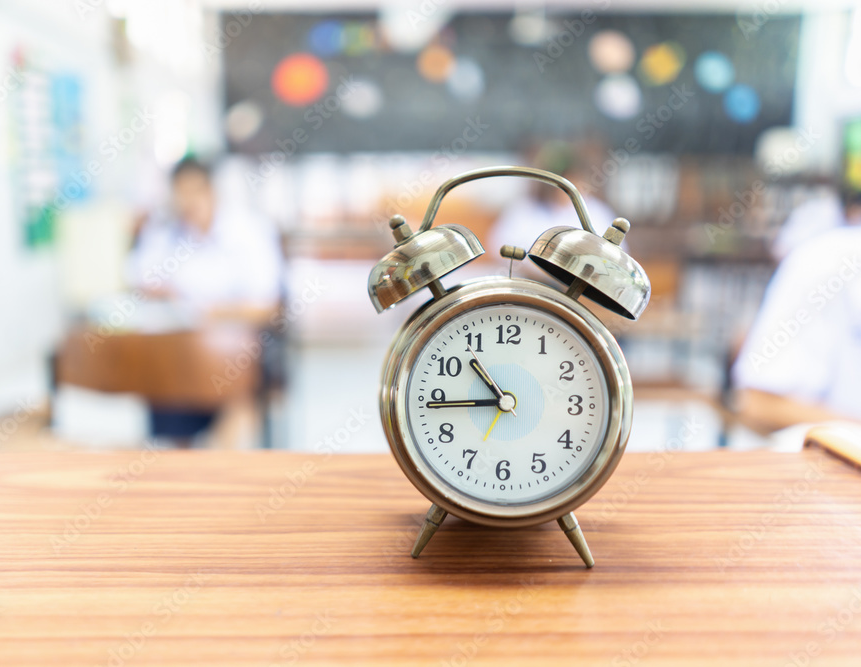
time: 10:44
